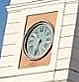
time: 6:32
